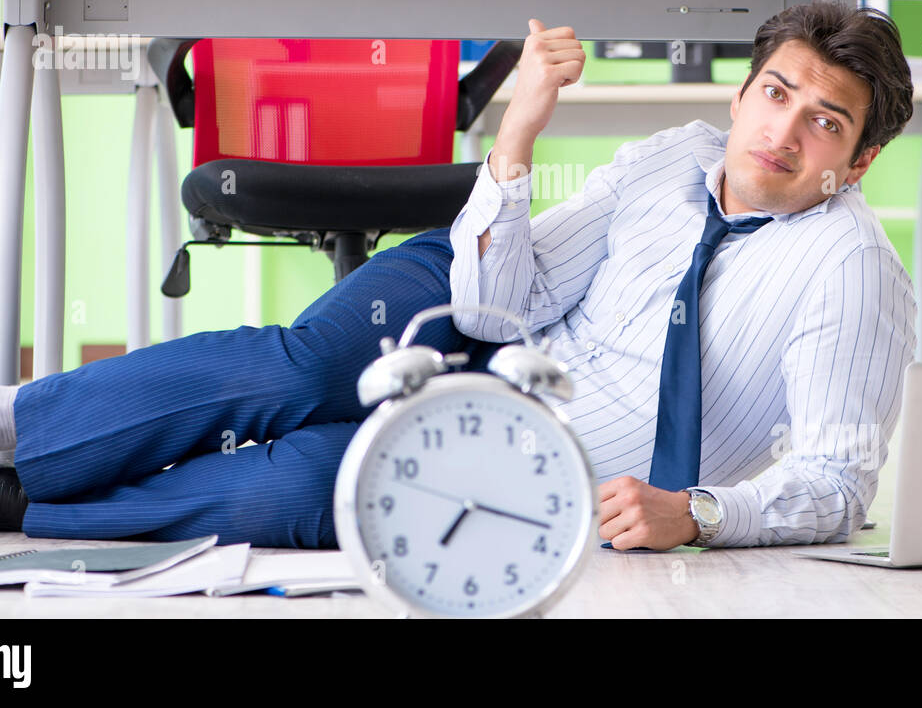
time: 7:17
